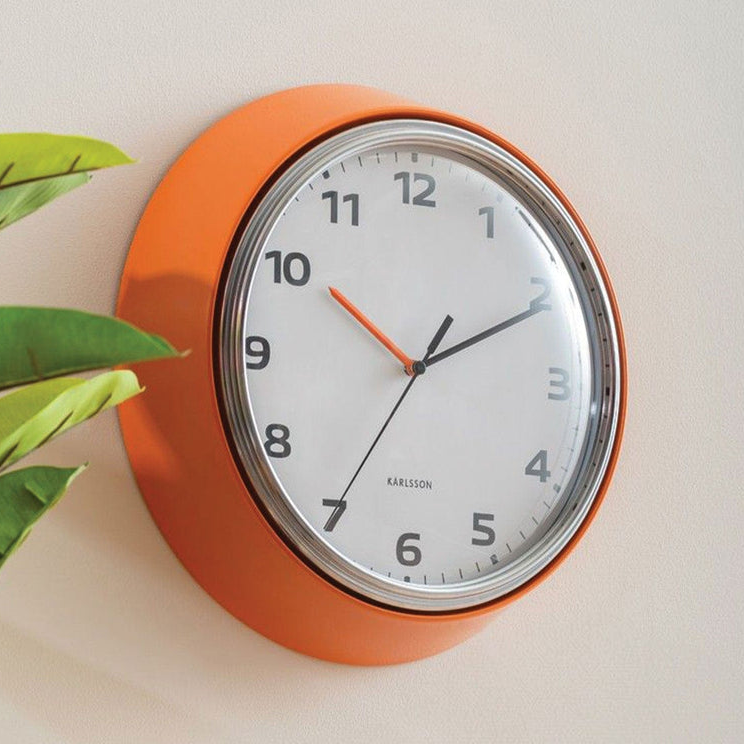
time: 10:10
